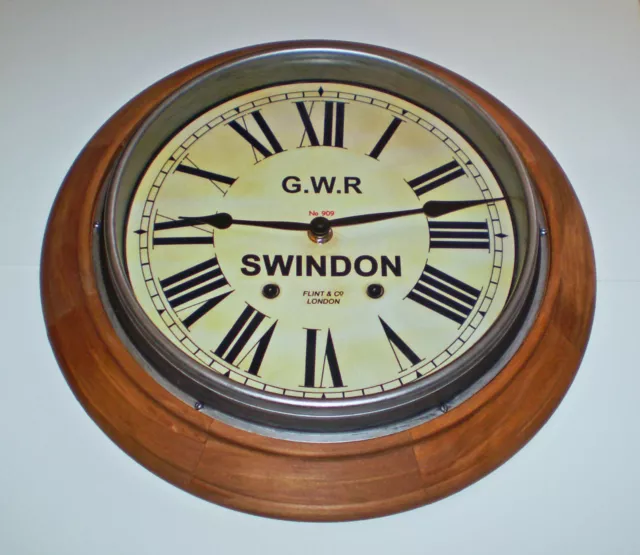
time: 9:12
